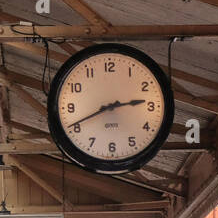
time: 2:40
